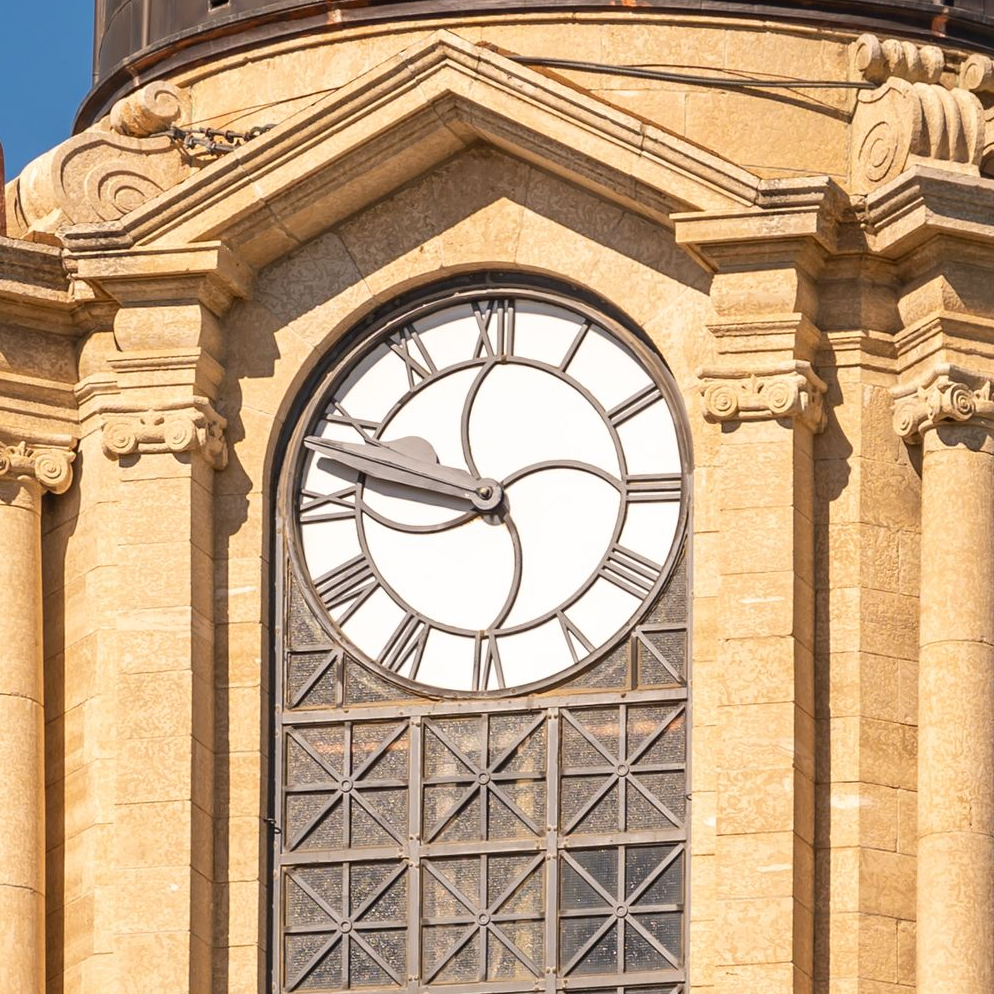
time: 9:47
